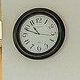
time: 10:48
